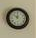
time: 10:00
